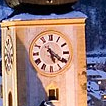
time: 5:21
